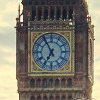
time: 6:55
